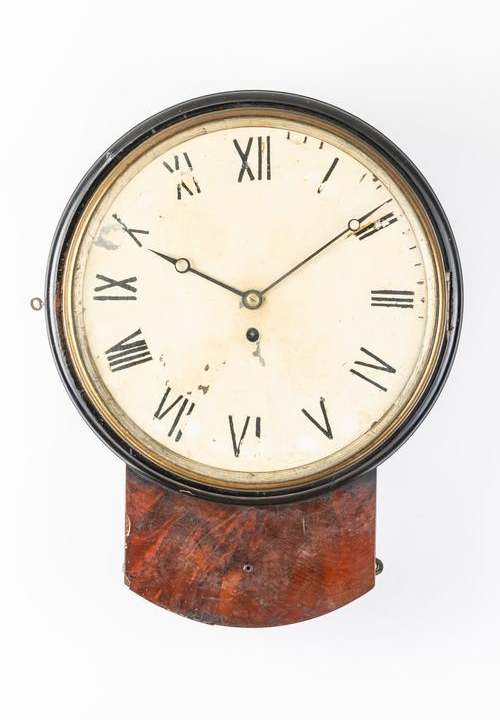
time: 1:49
